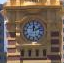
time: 12:11
